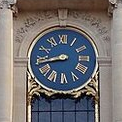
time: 8:43
